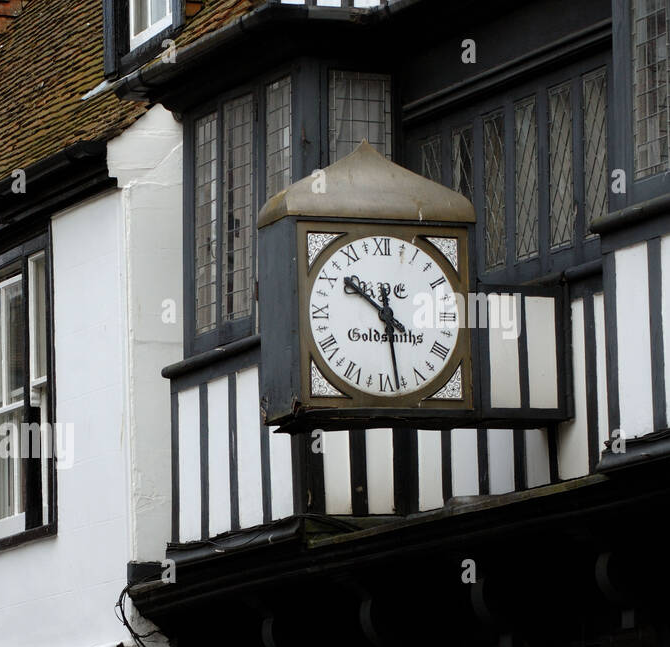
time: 10:28
